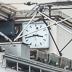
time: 3:43
